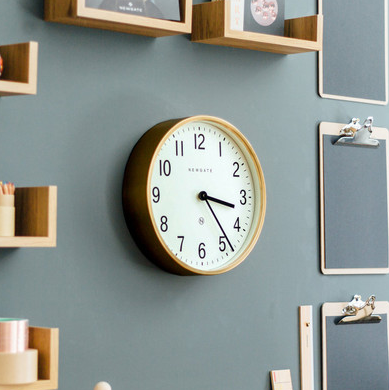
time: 3:23
